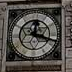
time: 12:18
